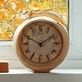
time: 1:49
